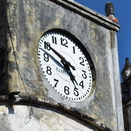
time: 4:50
